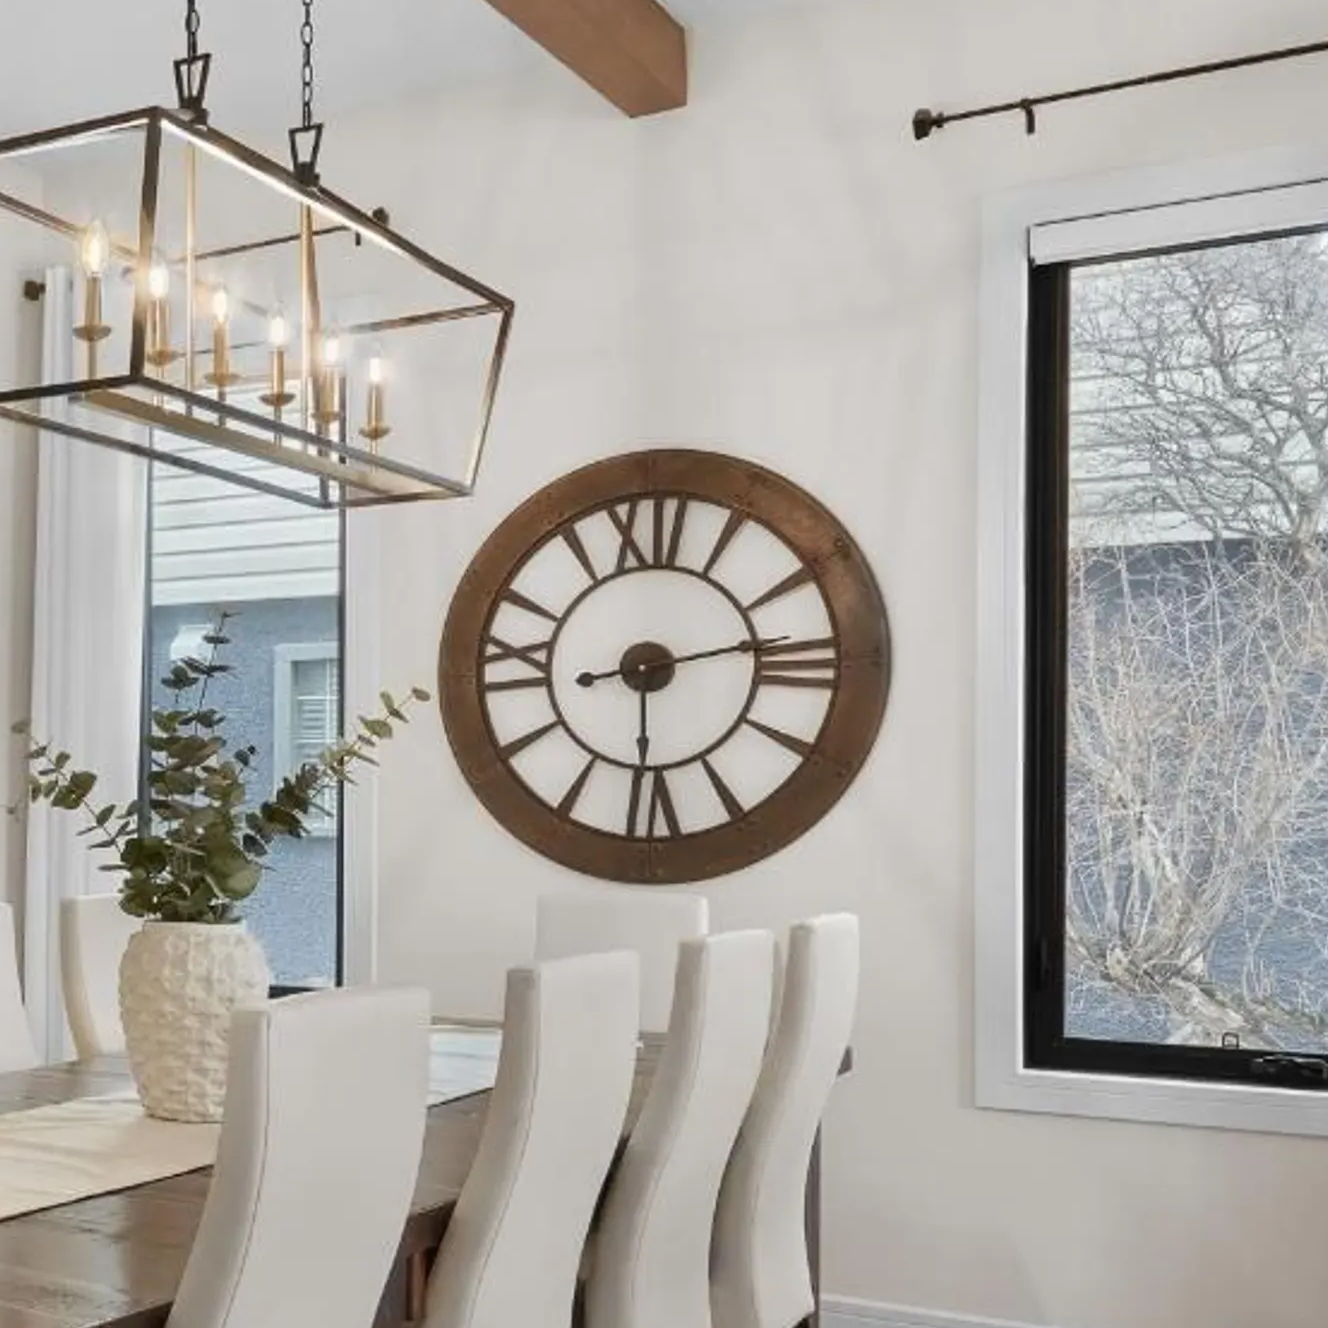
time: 6:13
